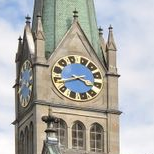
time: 3:40
